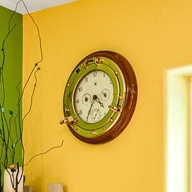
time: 4:34
